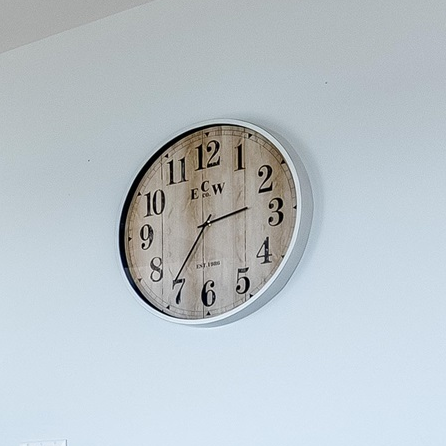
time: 2:36
